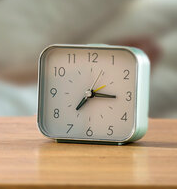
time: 7:15
